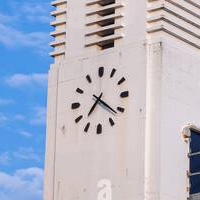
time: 7:21
